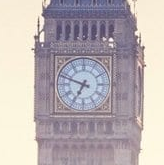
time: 6:48
